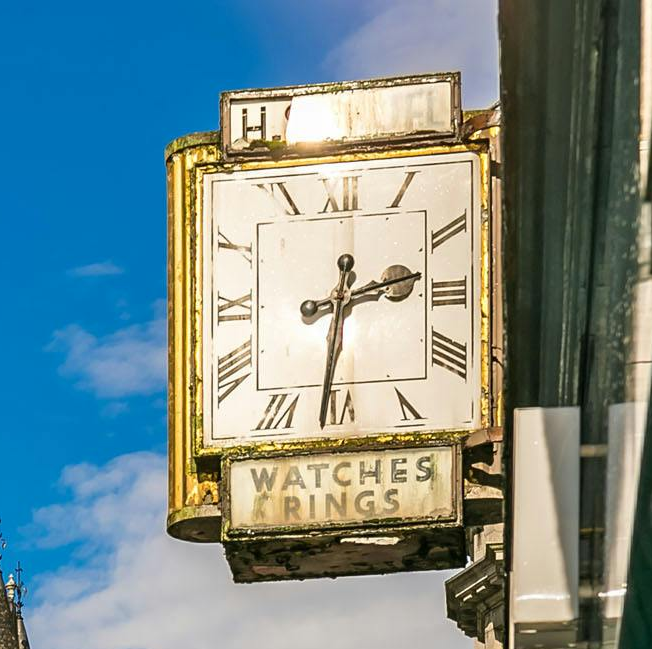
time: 2:31
